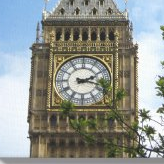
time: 2:17
